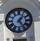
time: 1:23
